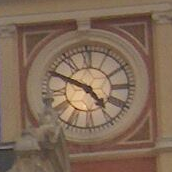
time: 4:49
